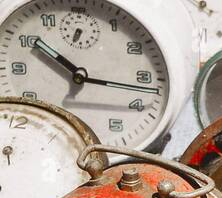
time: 10:16
